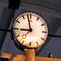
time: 8:57
